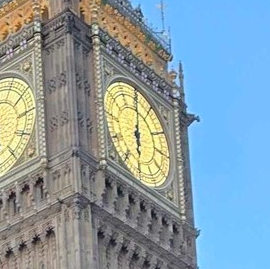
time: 6:00
